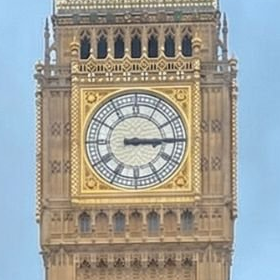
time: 3:14
